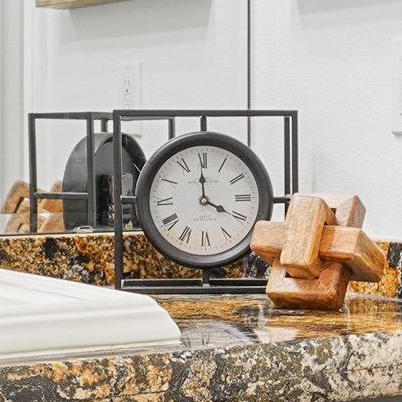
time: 3:59
